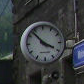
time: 3:53
